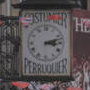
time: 3:12
